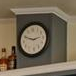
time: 2:48
